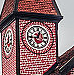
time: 12:44
